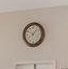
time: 8:07
